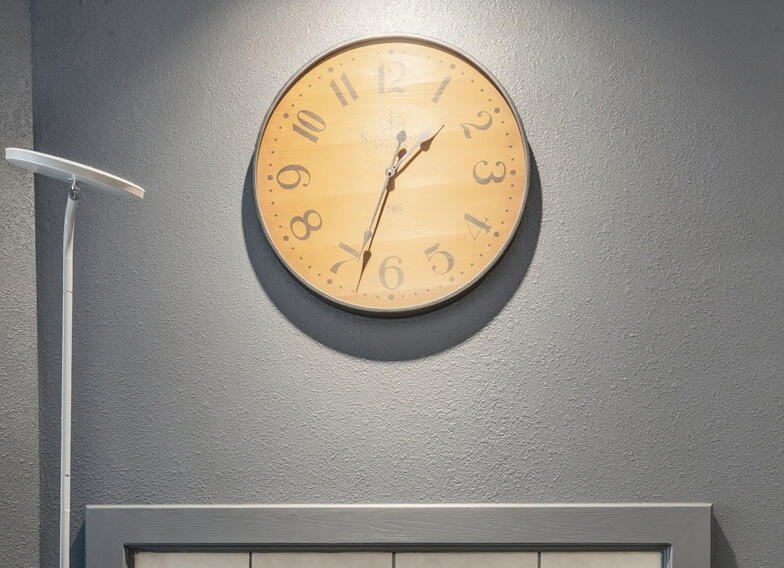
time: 1:32
